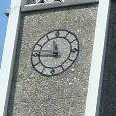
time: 11:45
